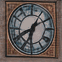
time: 6:40
